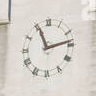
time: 11:13
